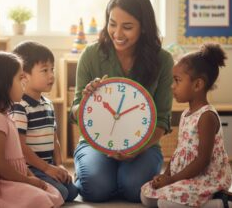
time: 10:01
